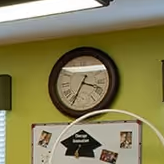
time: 3:34
